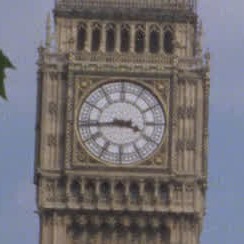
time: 3:43
